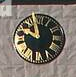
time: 9:57
